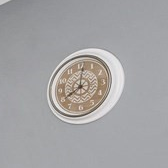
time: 8:01
